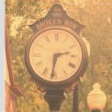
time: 2:31
